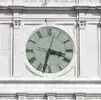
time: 3:32
